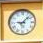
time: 9:07
